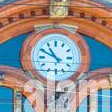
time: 10:49
